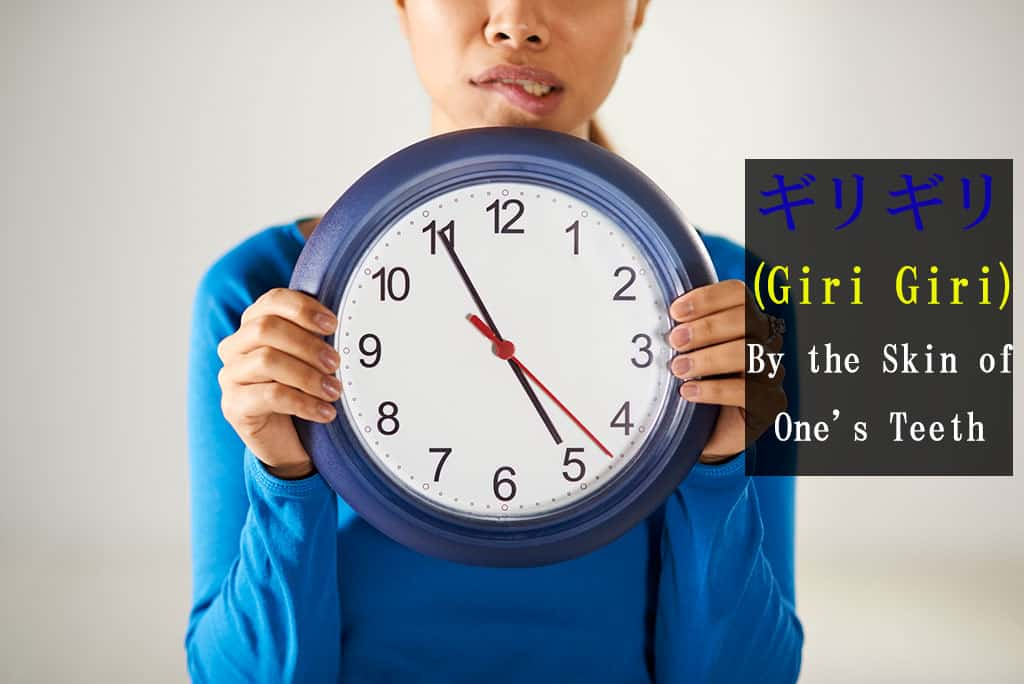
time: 4:55
